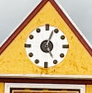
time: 5:03
